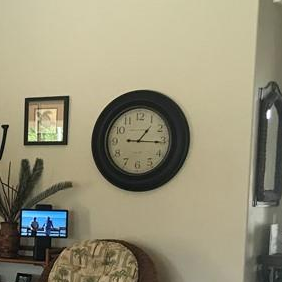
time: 1:15
